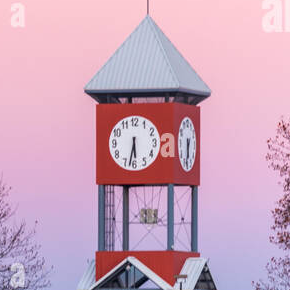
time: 5:32
